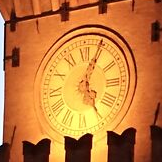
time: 5:04
